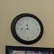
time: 11:44
